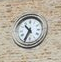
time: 10:34
